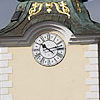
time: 10:12
